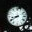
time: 8:40
